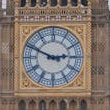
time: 2:49
